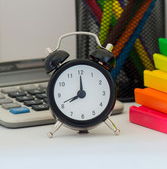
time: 8:00
